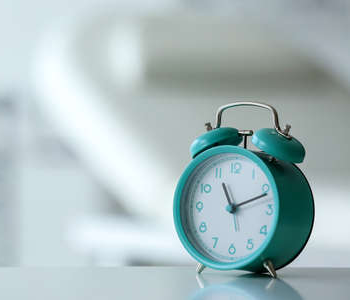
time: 11:11
